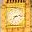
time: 2:36
